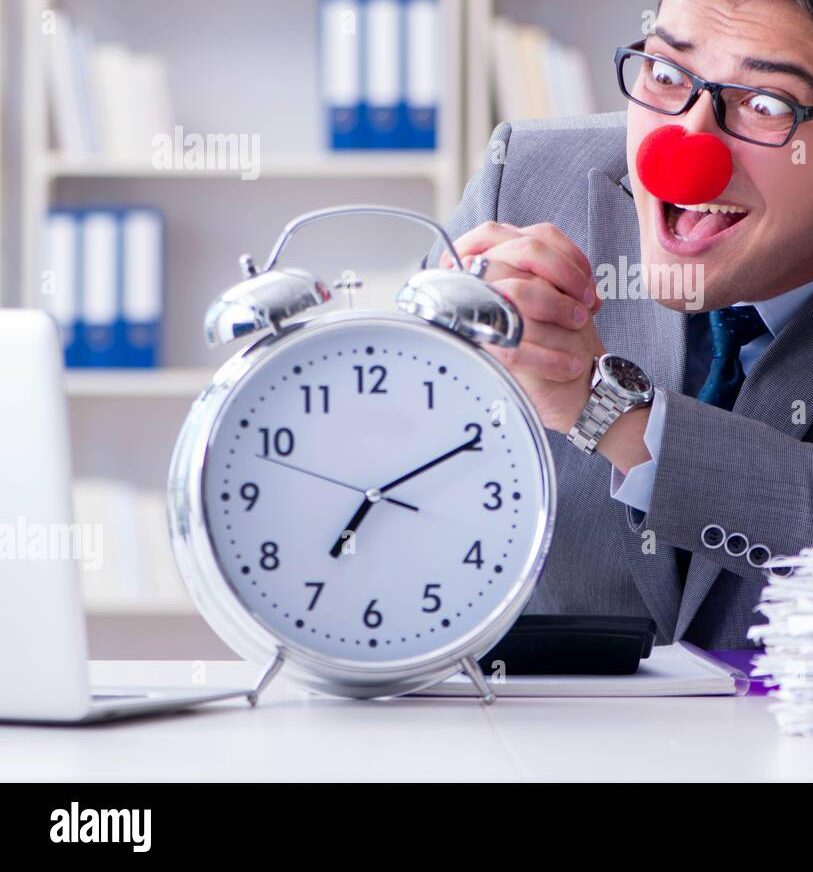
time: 7:10
